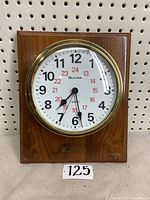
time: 7:28
